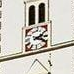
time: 2:18
